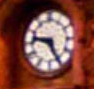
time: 9:25
